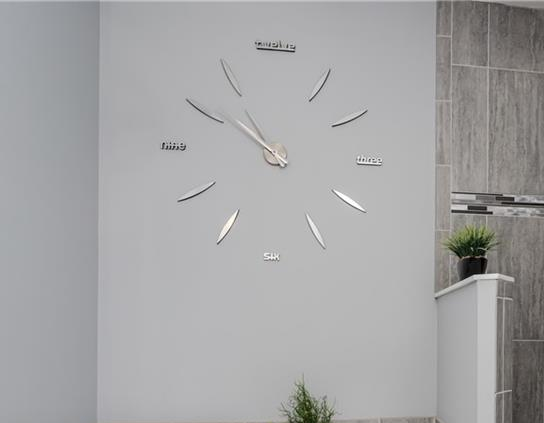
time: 9:50
